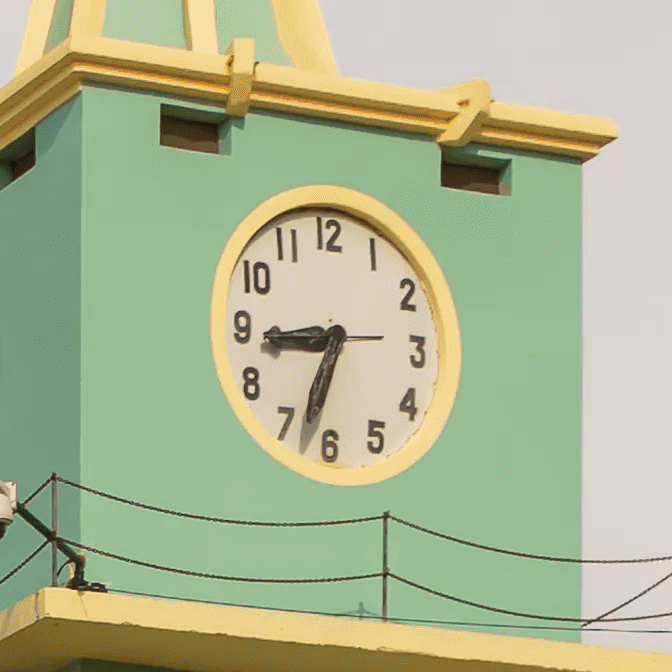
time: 8:32
